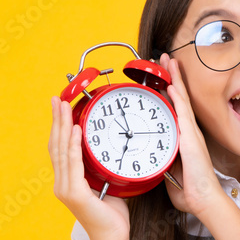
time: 6:59
